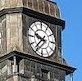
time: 9:36
